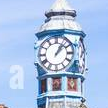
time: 1:07
